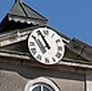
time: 10:55
